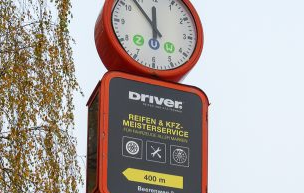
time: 11:53
